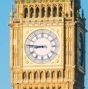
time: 8:46
